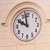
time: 9:57
